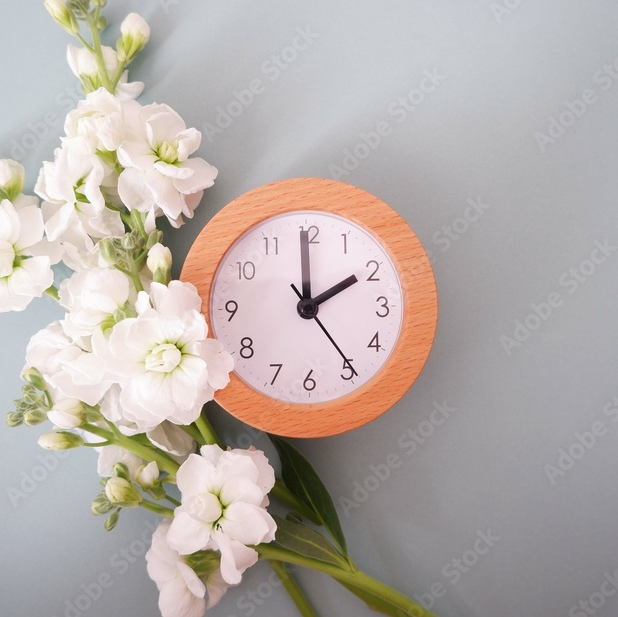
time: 1:59
